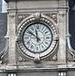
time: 11:50
